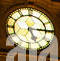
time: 5:14
